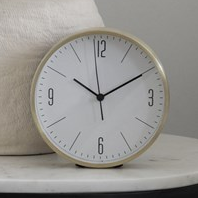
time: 10:09
